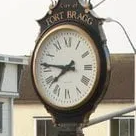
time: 7:46
